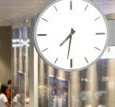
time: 7:31
